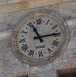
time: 11:13
